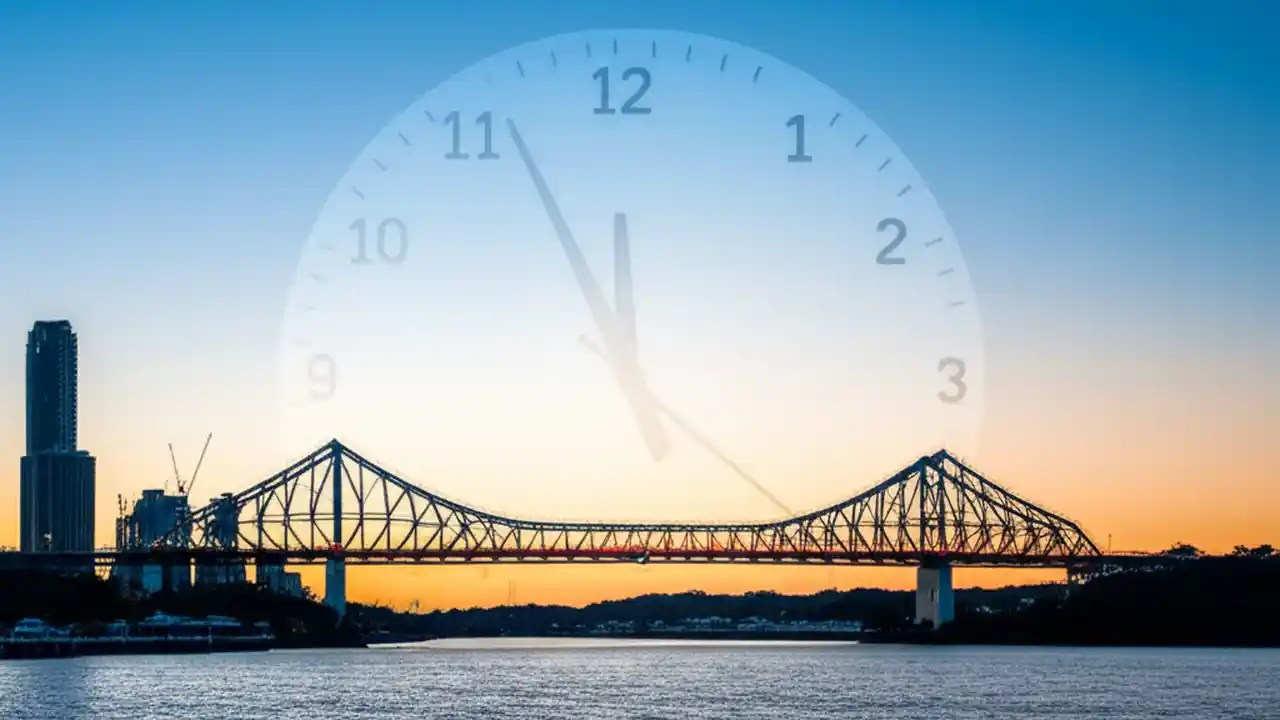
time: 11:56
